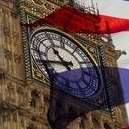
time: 10:41
